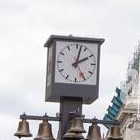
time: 2:02
